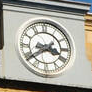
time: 3:39
